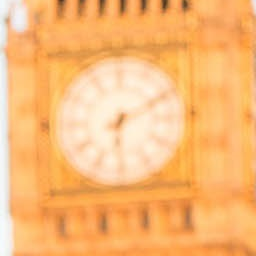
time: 6:10
